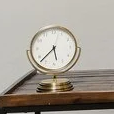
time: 5:37
